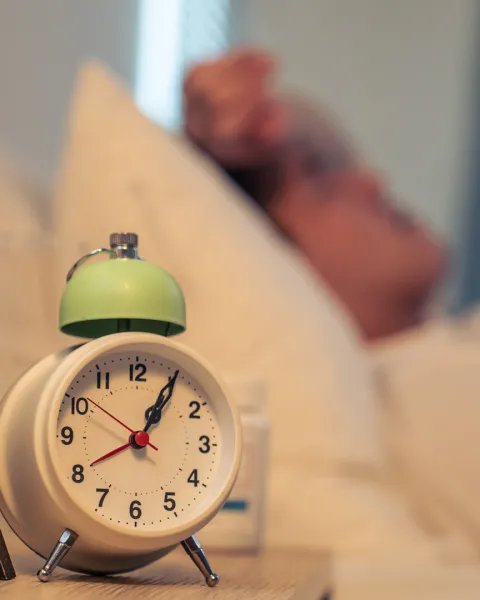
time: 1:04
